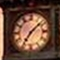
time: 7:08
